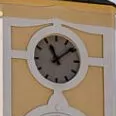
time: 11:08
